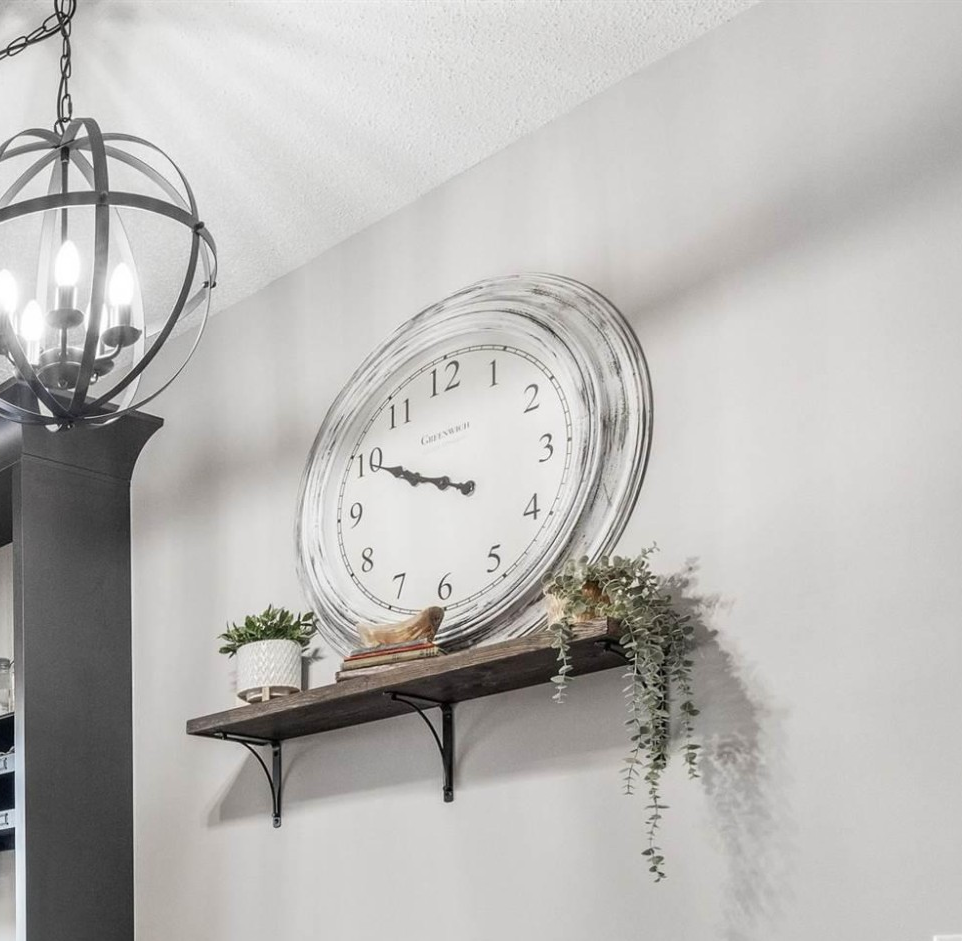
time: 9:50
